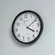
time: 4:09
